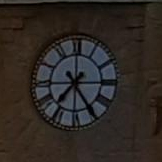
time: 7:24
